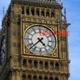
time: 4:37
